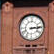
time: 3:13
